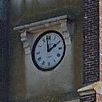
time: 1:58
